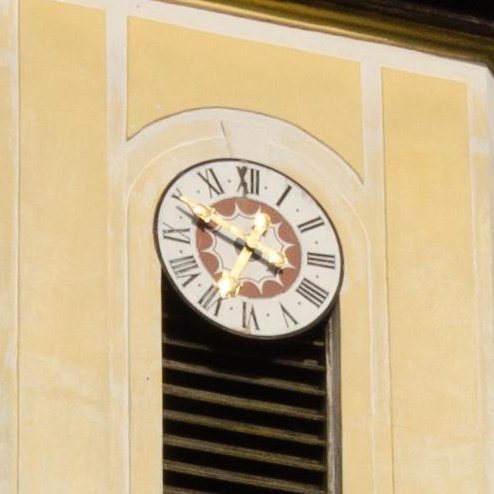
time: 3:48
